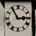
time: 2:54
